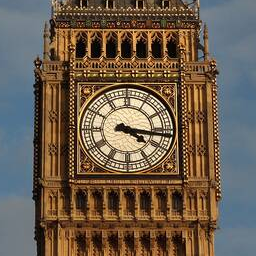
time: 4:16
